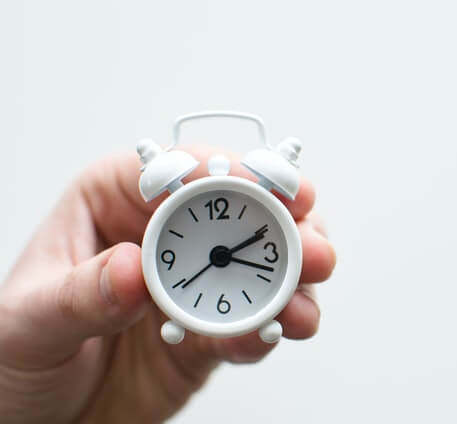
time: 2:18
